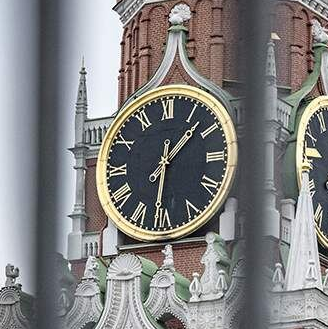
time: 1:31
